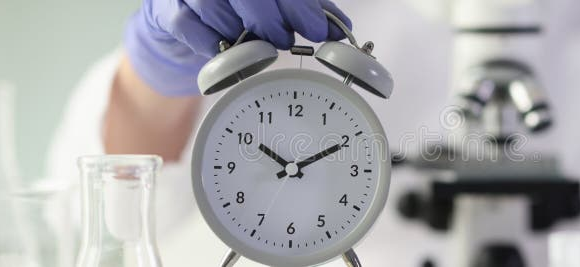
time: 10:10
